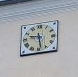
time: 9:28
